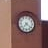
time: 7:21
